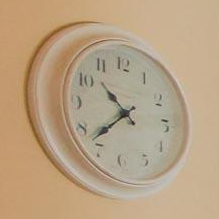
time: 10:37
